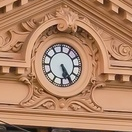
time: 5:24
